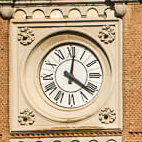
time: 4:01
